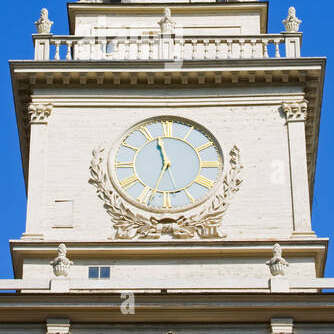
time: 11:26
